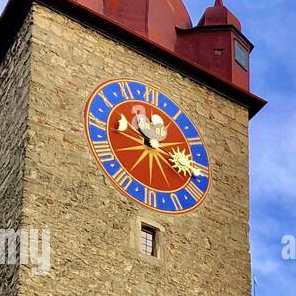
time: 10:18
